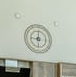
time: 9:01
